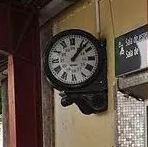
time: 1:07
